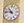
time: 10:46
